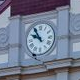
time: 9:54
